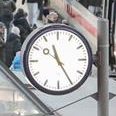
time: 11:24
